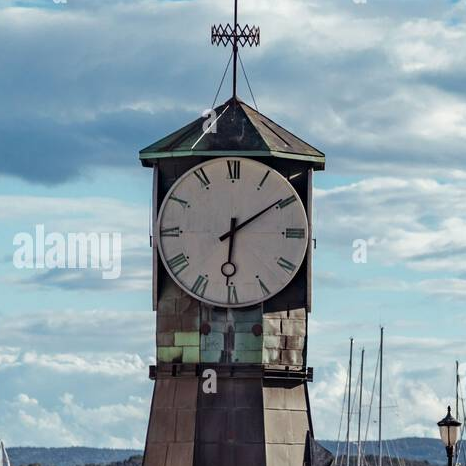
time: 6:09
